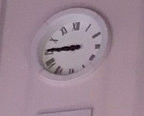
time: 8:45
